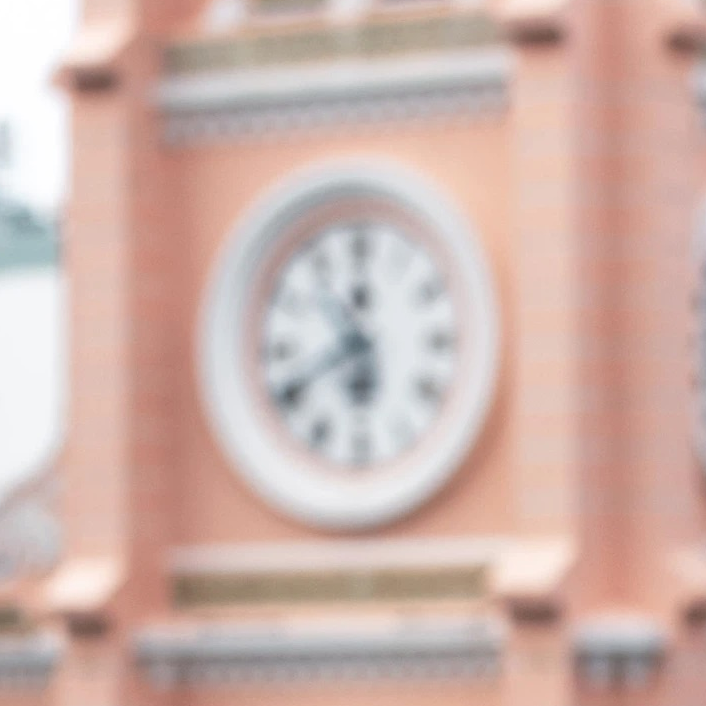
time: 5:40
